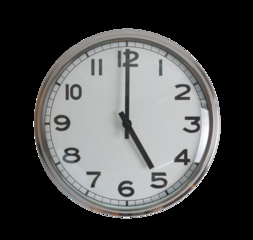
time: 5:00
